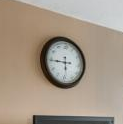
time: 5:44
